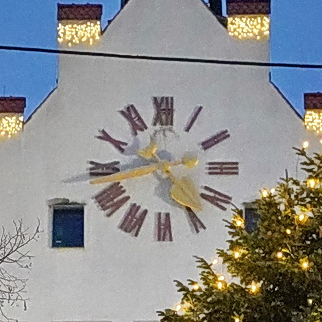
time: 9:42
